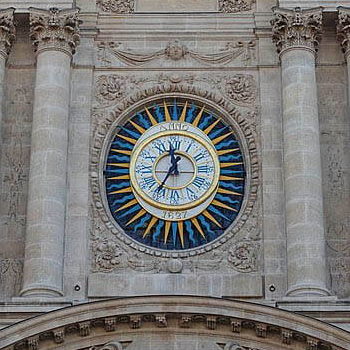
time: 11:35
